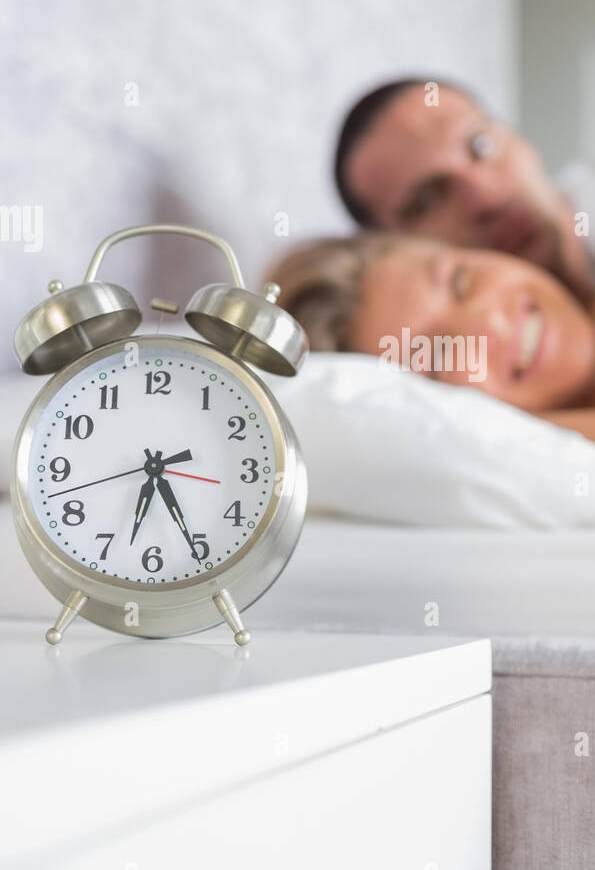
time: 6:25
